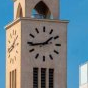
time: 1:43
